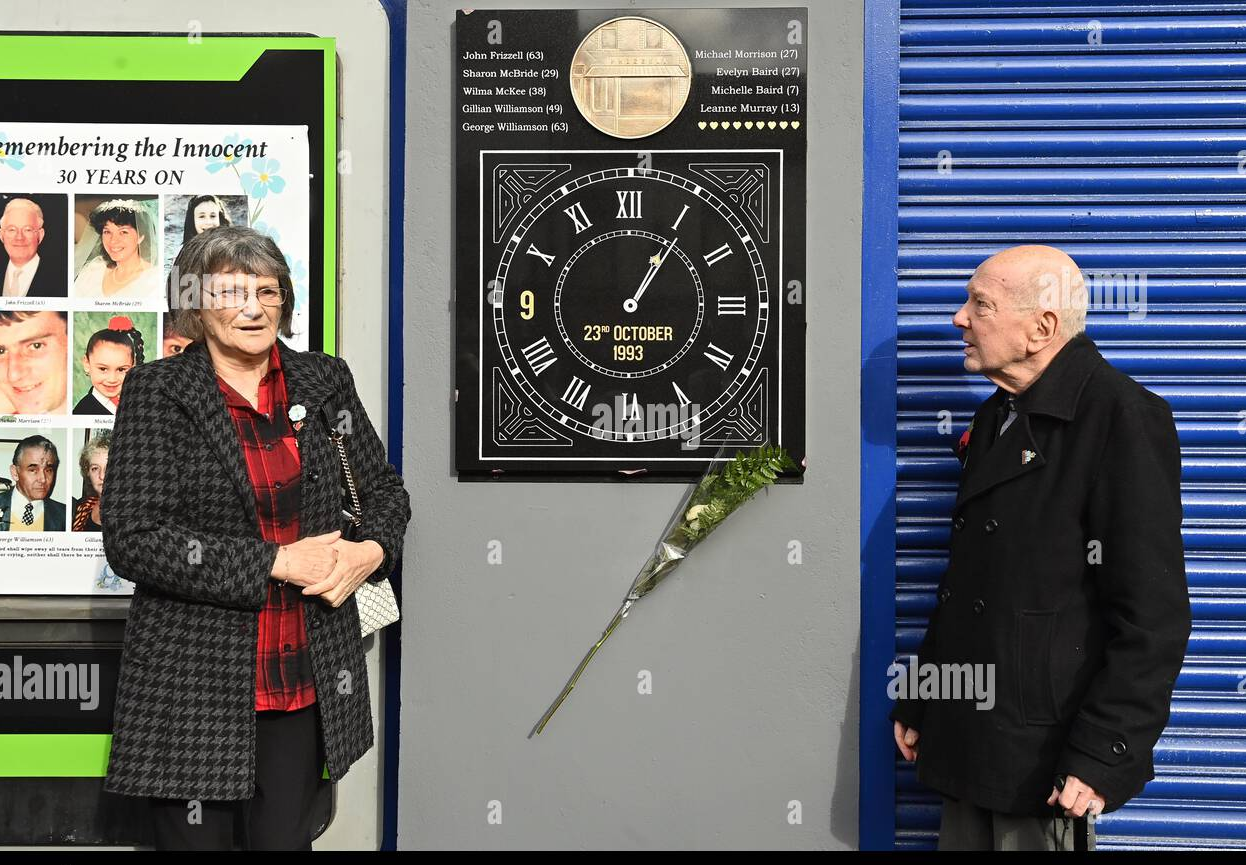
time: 1:05
